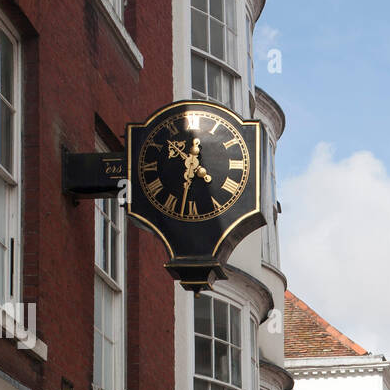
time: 10:32
